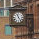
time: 11:24
